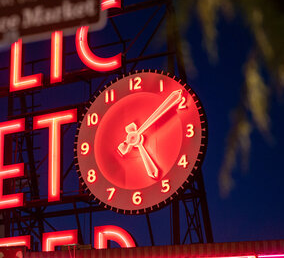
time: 5:09
